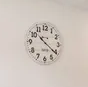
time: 10:20
